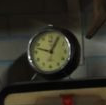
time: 12:47
